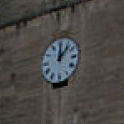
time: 12:07
